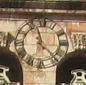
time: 11:22
